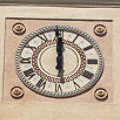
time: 11:59
